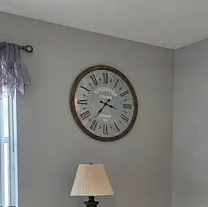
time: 3:36
